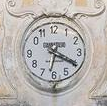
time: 6:19
